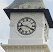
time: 9:20
